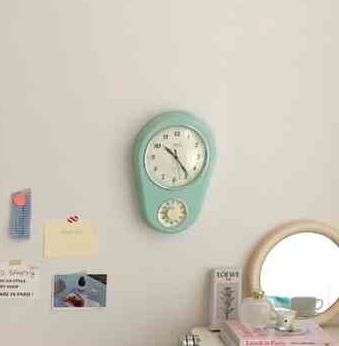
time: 10:23
